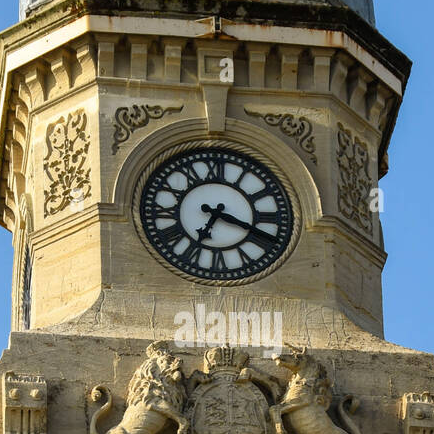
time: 3:34
